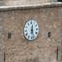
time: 12:27
